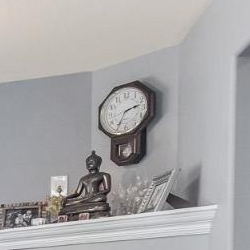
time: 2:34
